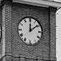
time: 12:08
